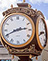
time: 2:40
